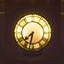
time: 7:32
